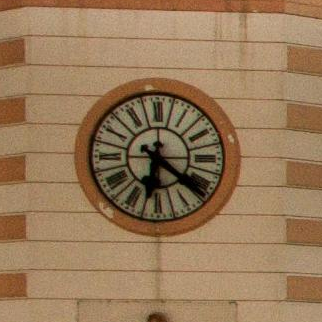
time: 6:21
